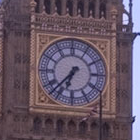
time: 6:37
